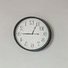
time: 12:45
